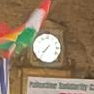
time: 7:36
